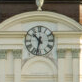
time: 10:32
